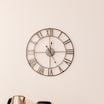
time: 12:14
